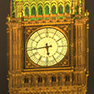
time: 5:43
